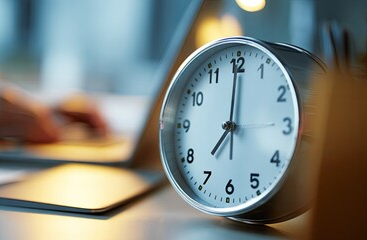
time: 7:00
